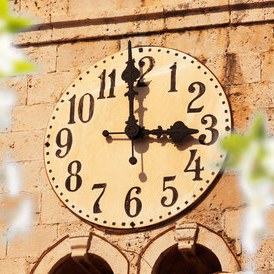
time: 2:59
